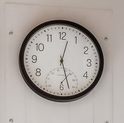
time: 12:27
